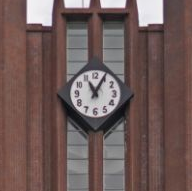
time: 11:05
